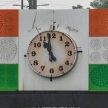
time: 10:58
